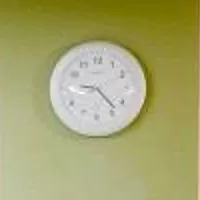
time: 9:22
